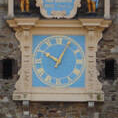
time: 10:04
